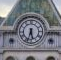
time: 5:33
